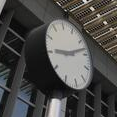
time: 9:12
